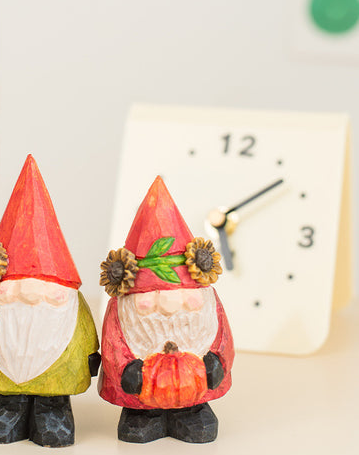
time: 5:08
